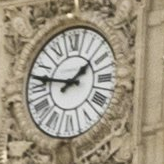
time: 1:47
